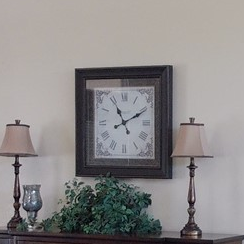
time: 11:10
